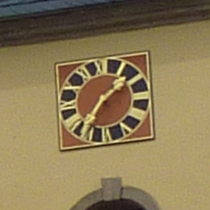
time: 1:34
